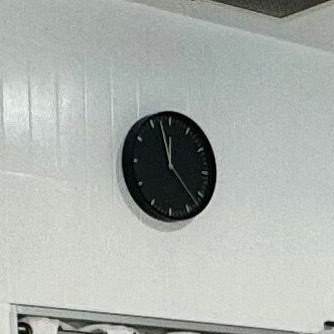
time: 11:57
